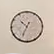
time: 10:34
